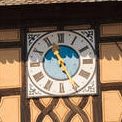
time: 11:25
